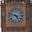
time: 4:48
